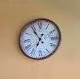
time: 6:54
